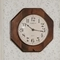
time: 10:16
